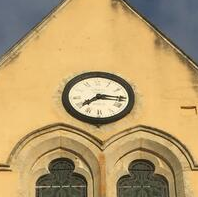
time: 8:16
